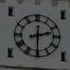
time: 2:30
